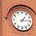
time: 1:13
